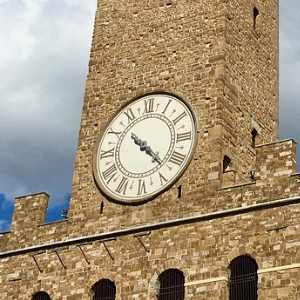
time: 10:22
